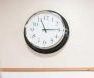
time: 11:14
